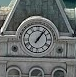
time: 1:06
